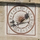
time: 1:40
